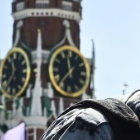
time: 11:36
